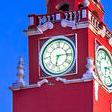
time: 6:14
